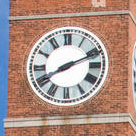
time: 8:11
